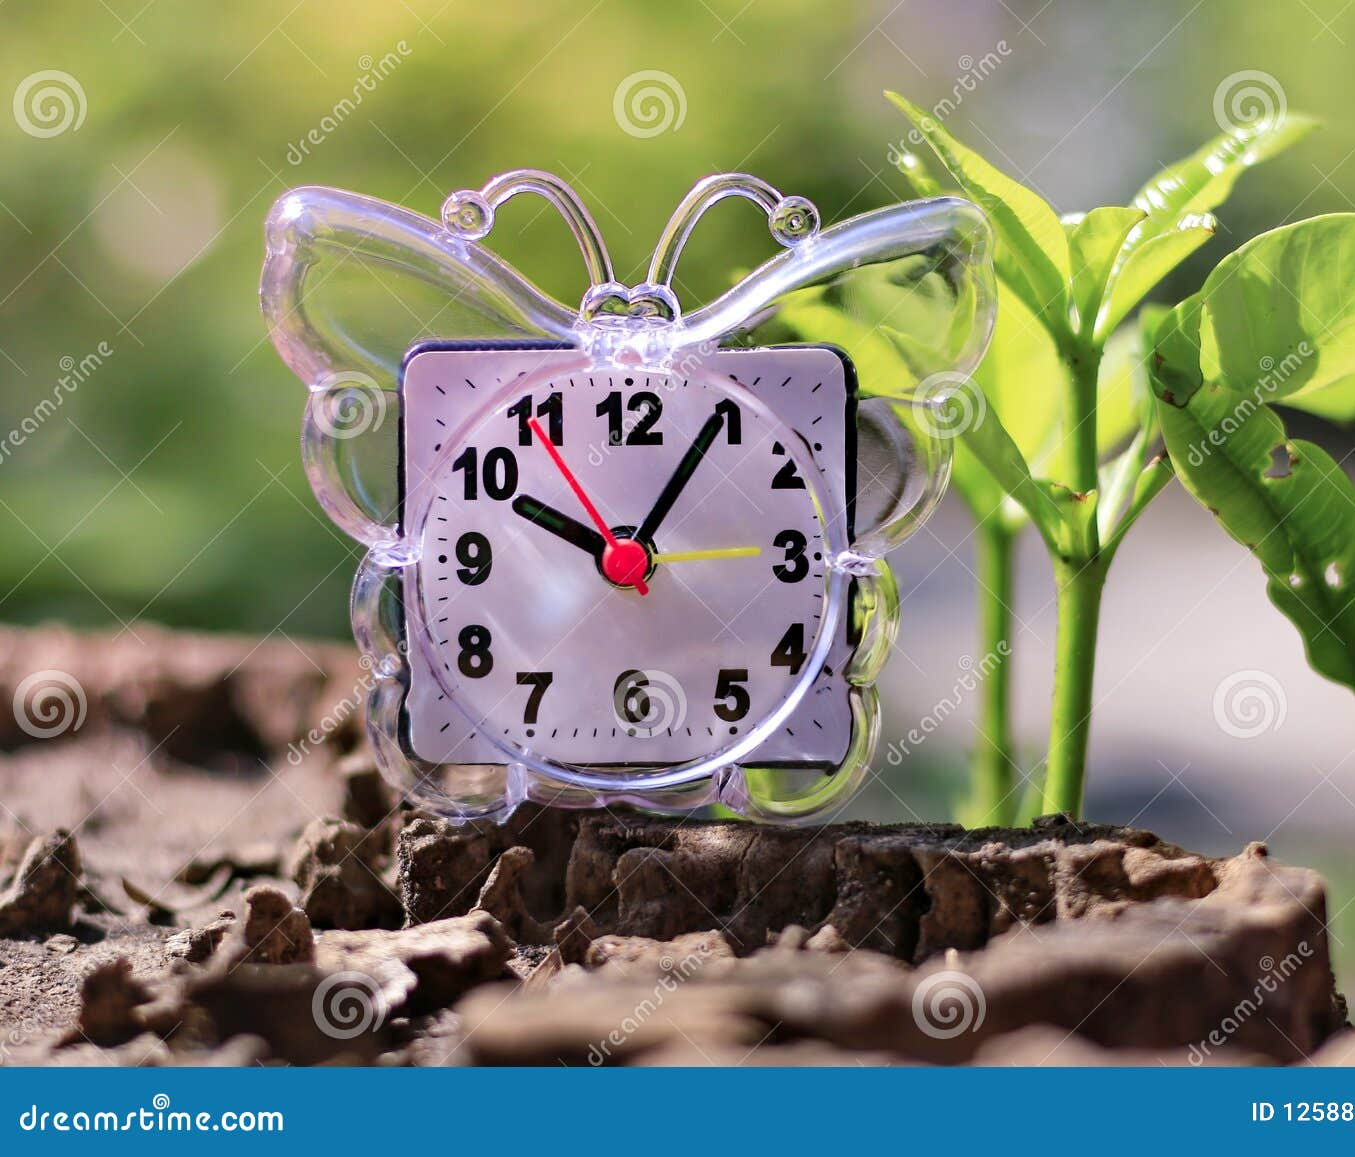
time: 10:05
